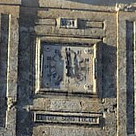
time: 5:59
